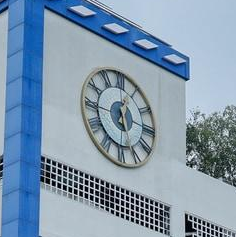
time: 5:14
